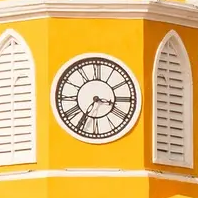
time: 3:35
